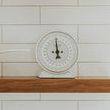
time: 5:59
